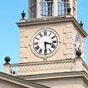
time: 3:29
